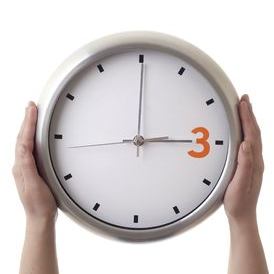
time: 3:00
